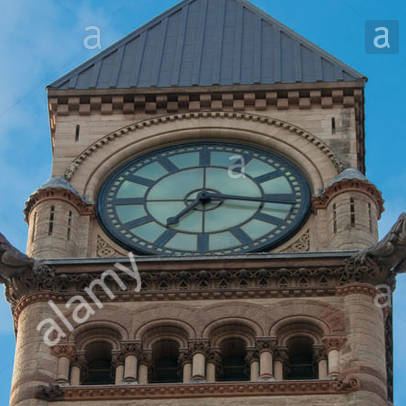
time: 7:15
